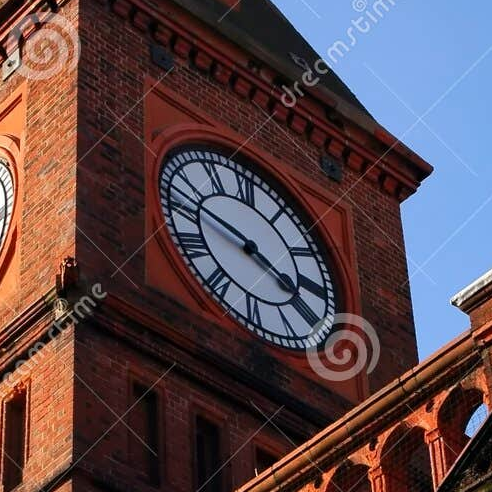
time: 3:47
